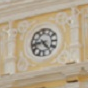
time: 4:44
